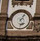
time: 4:04
